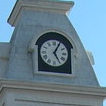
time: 5:05
